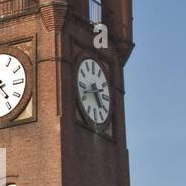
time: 4:42
